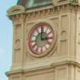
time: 3:00
